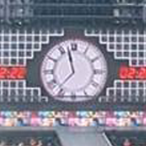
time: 11:36
